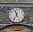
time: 11:35
